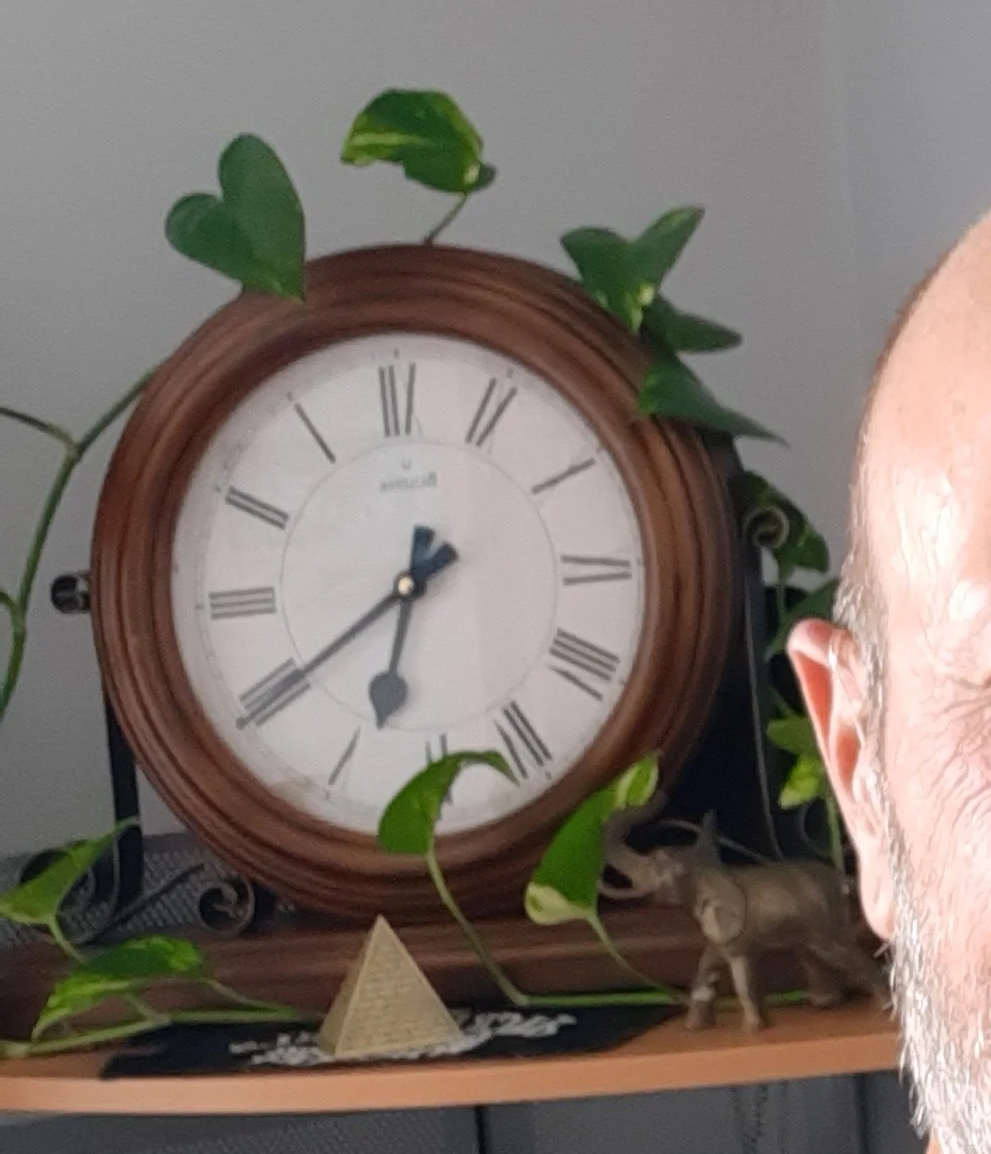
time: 6:39
